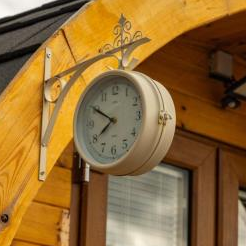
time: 7:50
